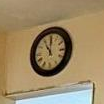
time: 11:00
